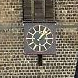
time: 1:07
